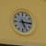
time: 5:15
